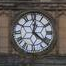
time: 12:21
